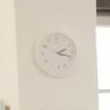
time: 2:18
